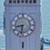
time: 8:32
